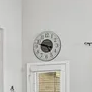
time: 4:47
